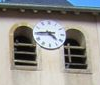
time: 4:44
